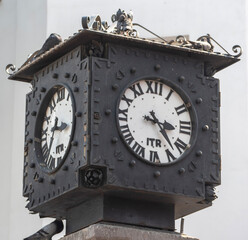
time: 3:22
